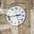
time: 2:42
